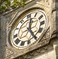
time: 12:24
